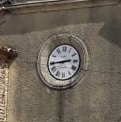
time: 2:44
